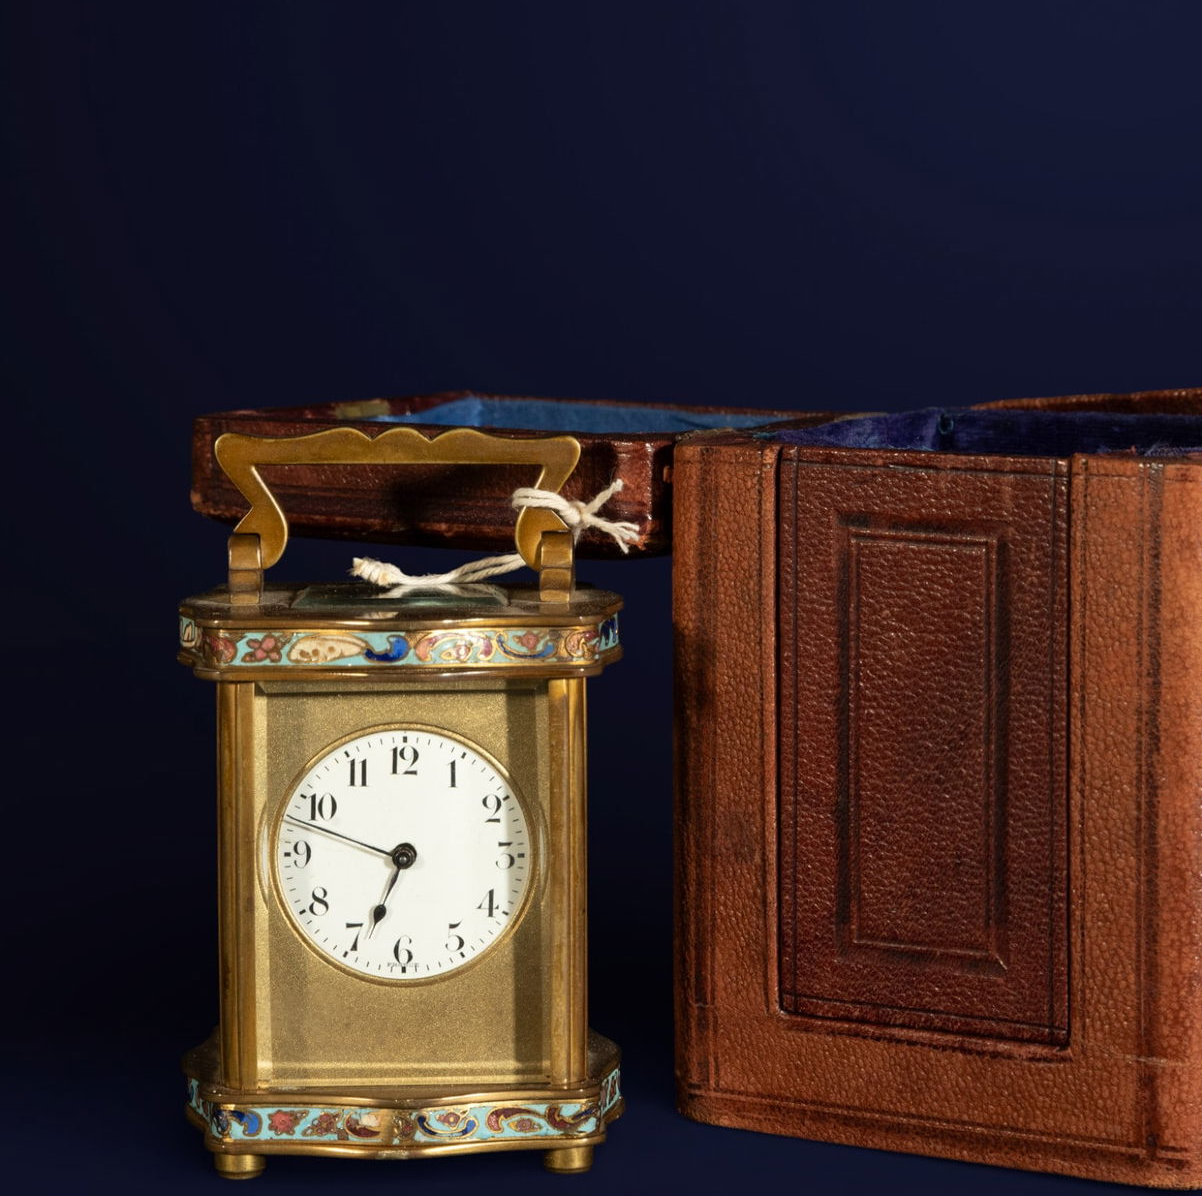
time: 6:47
